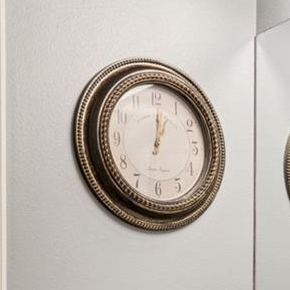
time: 1:01
